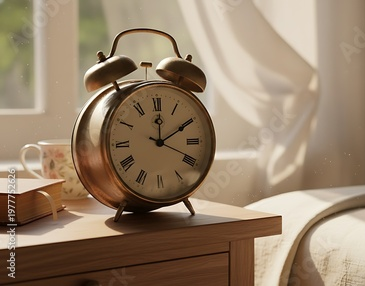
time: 12:09
